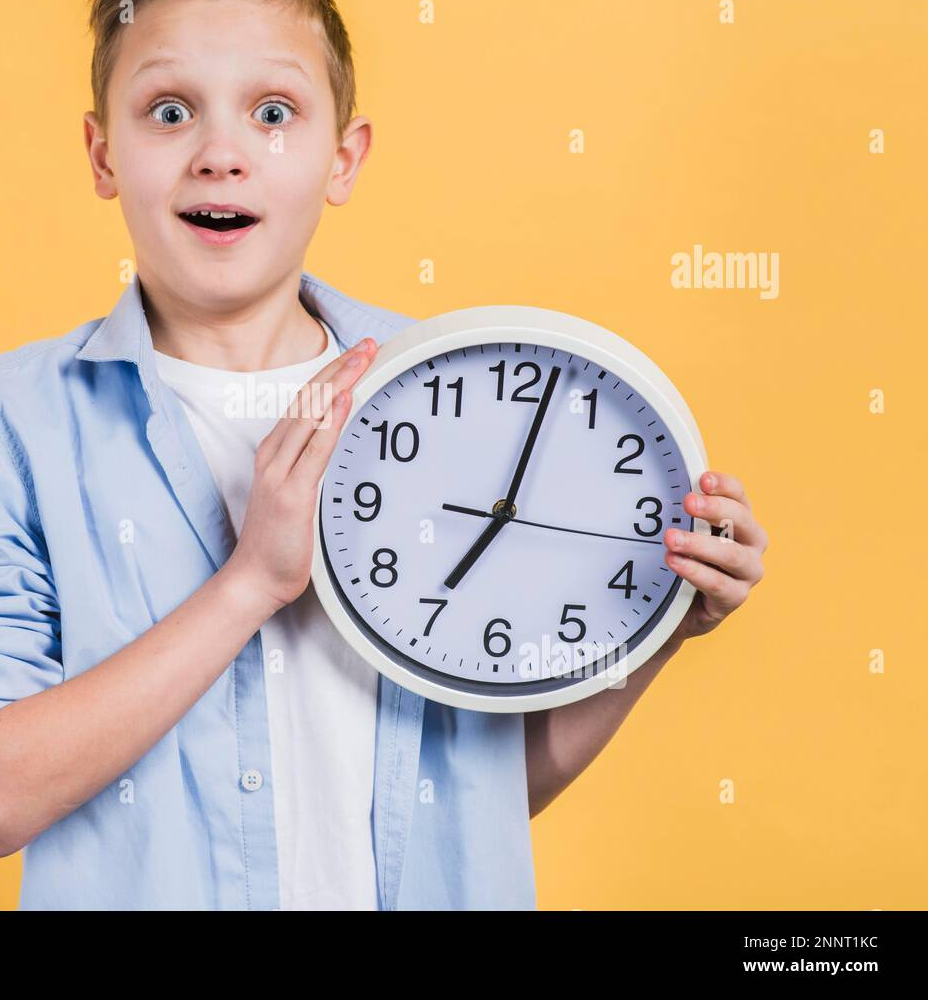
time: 7:02
